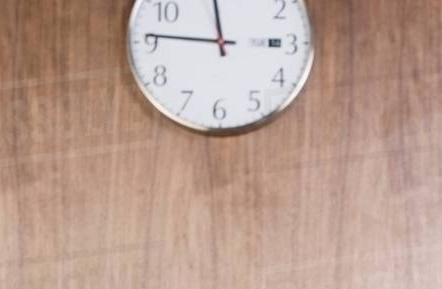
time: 11:45
